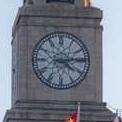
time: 4:13
